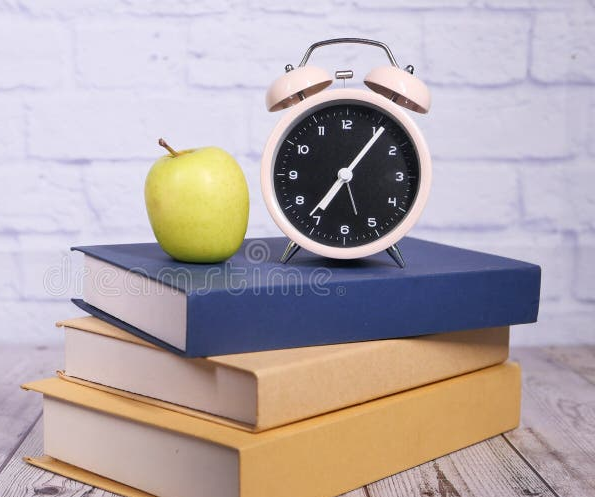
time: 7:06
